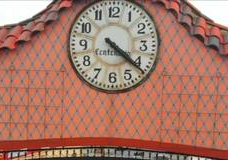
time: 4:21
